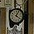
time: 4:04
